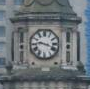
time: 9:18
